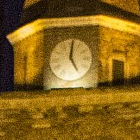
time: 5:00
